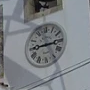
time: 2:44
